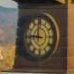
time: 11:45
